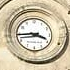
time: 3:44
